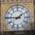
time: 1:45
